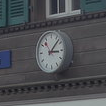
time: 3:07
